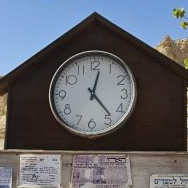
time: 12:23
